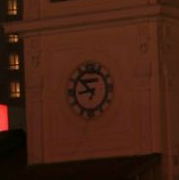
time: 8:52
